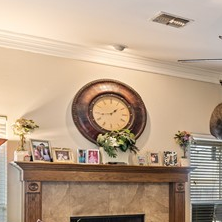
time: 1:43
